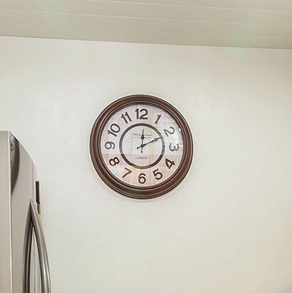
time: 12:10
